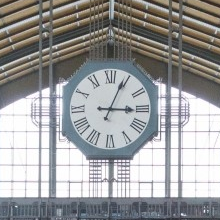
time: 3:04
